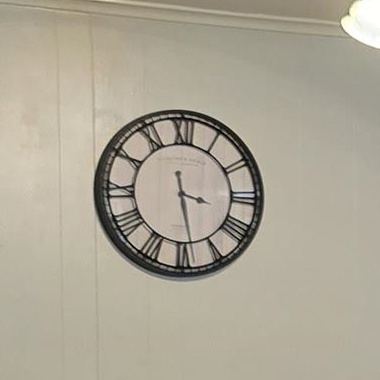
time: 3:28
